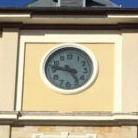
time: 4:46
